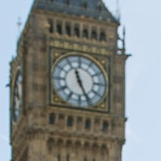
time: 11:25
